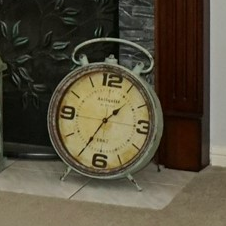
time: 1:35
